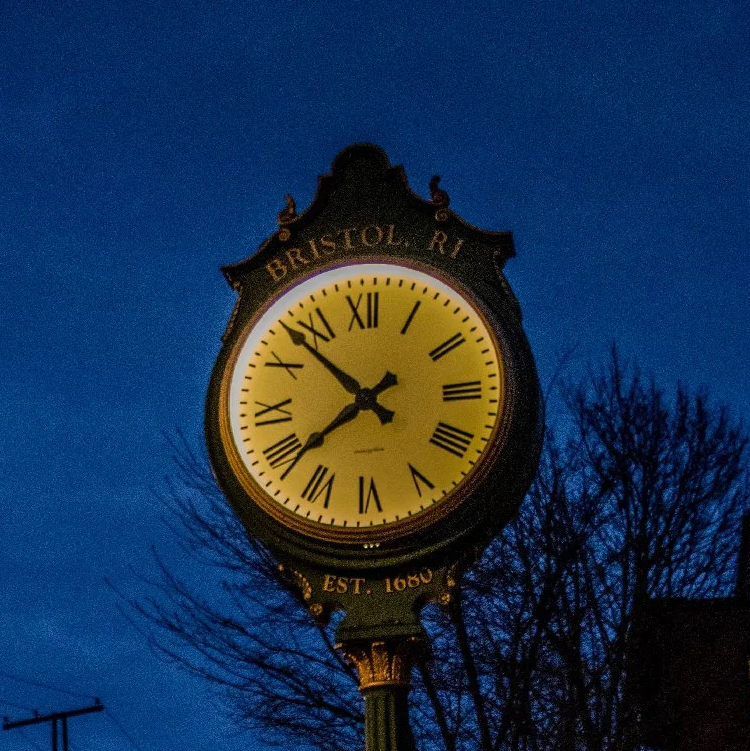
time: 7:52
